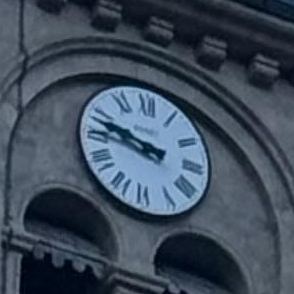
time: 9:47
